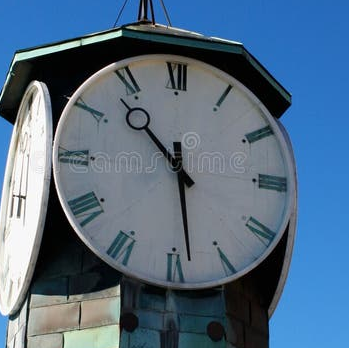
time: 10:28
